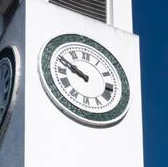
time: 9:50
